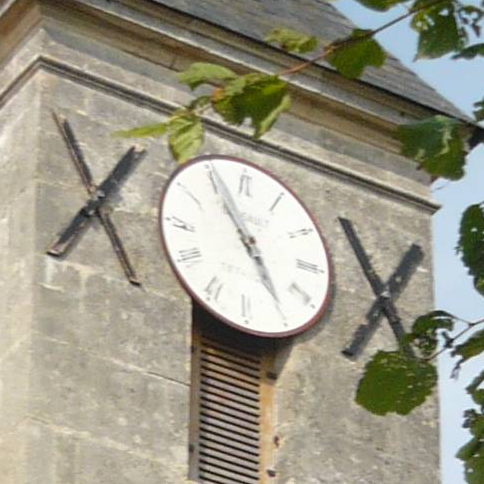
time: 4:54
